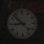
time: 8:52
